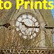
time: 10:14
